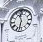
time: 11:32
